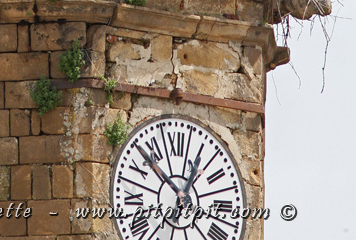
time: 12:52
